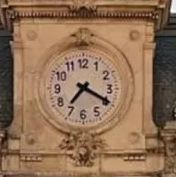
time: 7:19
